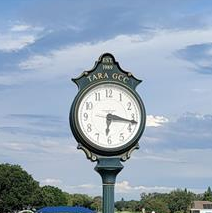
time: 6:17
